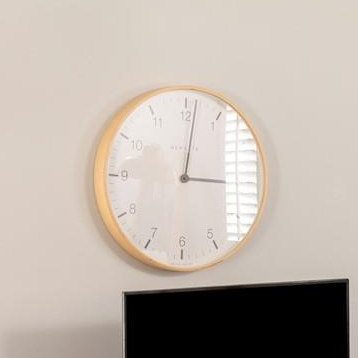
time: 3:01
